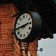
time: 2:45
